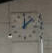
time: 12:07
